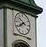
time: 7:51
